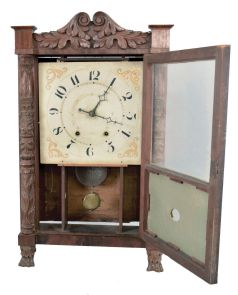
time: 1:18
